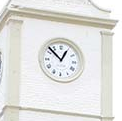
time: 12:52
